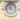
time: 4:57
